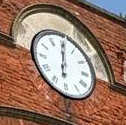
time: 6:00
